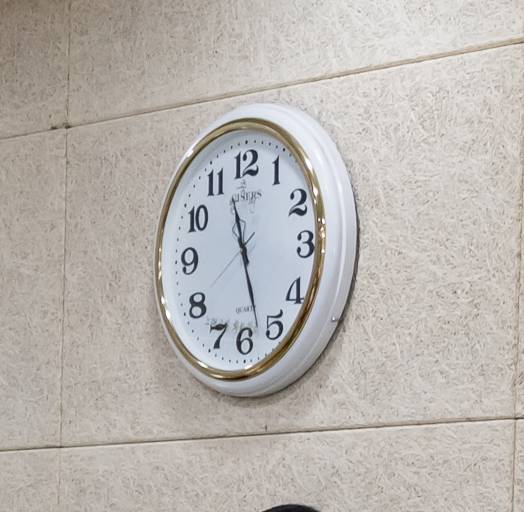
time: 11:27
